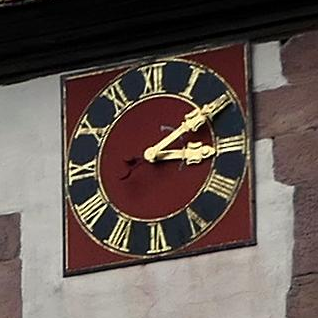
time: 3:09
